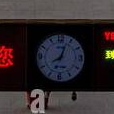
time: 8:03
